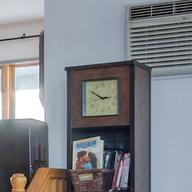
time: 2:50
